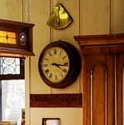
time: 4:16
